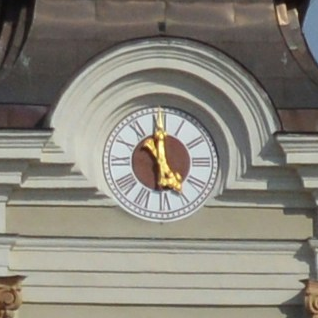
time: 4:59
